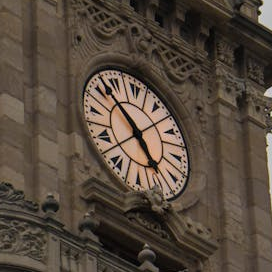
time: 4:52
